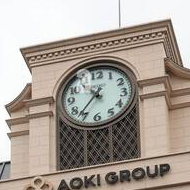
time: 10:36
